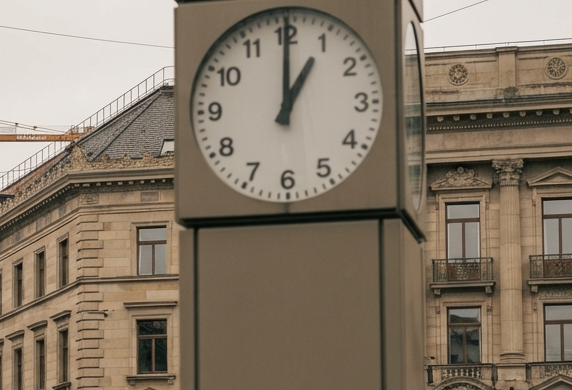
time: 1:00
